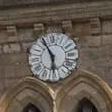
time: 5:55
